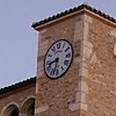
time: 8:32
